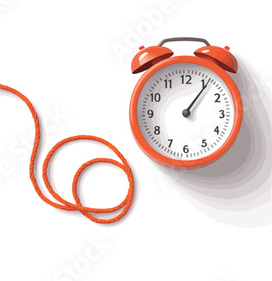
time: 1:06
